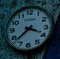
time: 3:38
